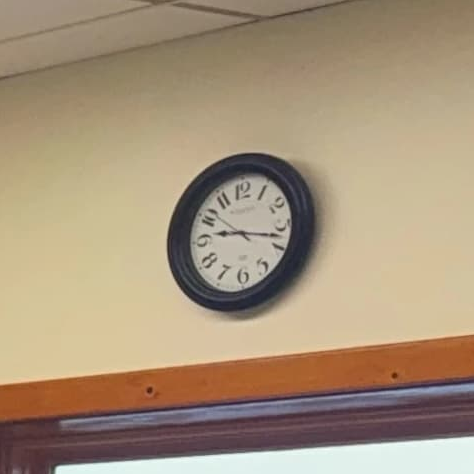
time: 9:17
